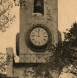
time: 11:46
